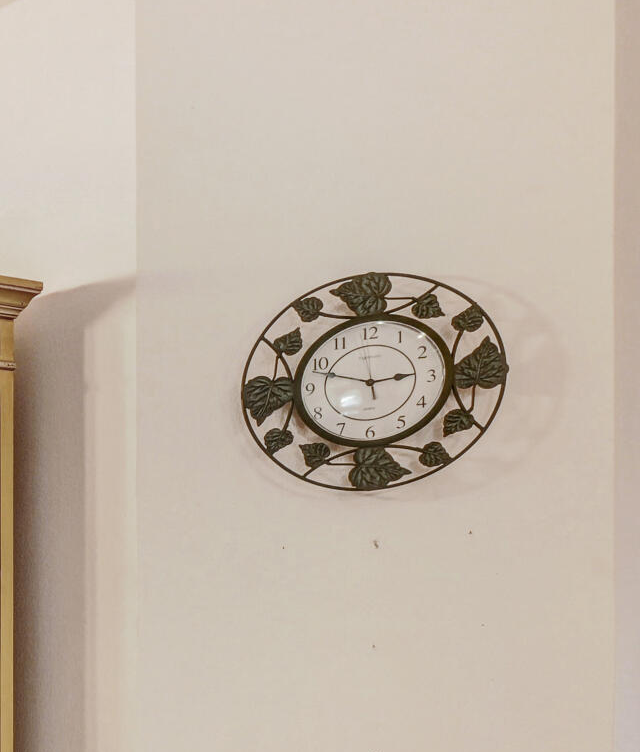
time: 2:48
